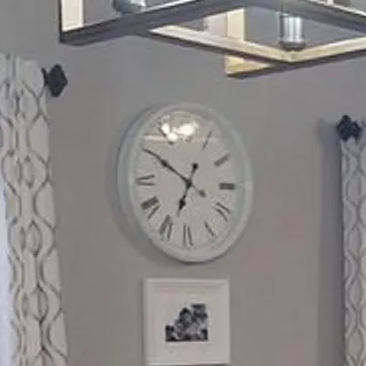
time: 6:50
